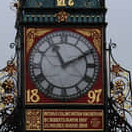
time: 11:10
